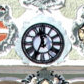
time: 11:34
